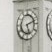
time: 5:11
